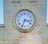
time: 3:33
